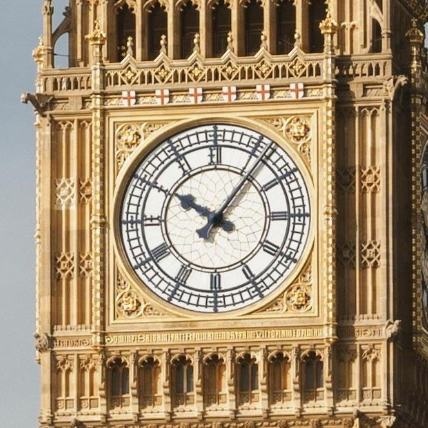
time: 10:06
